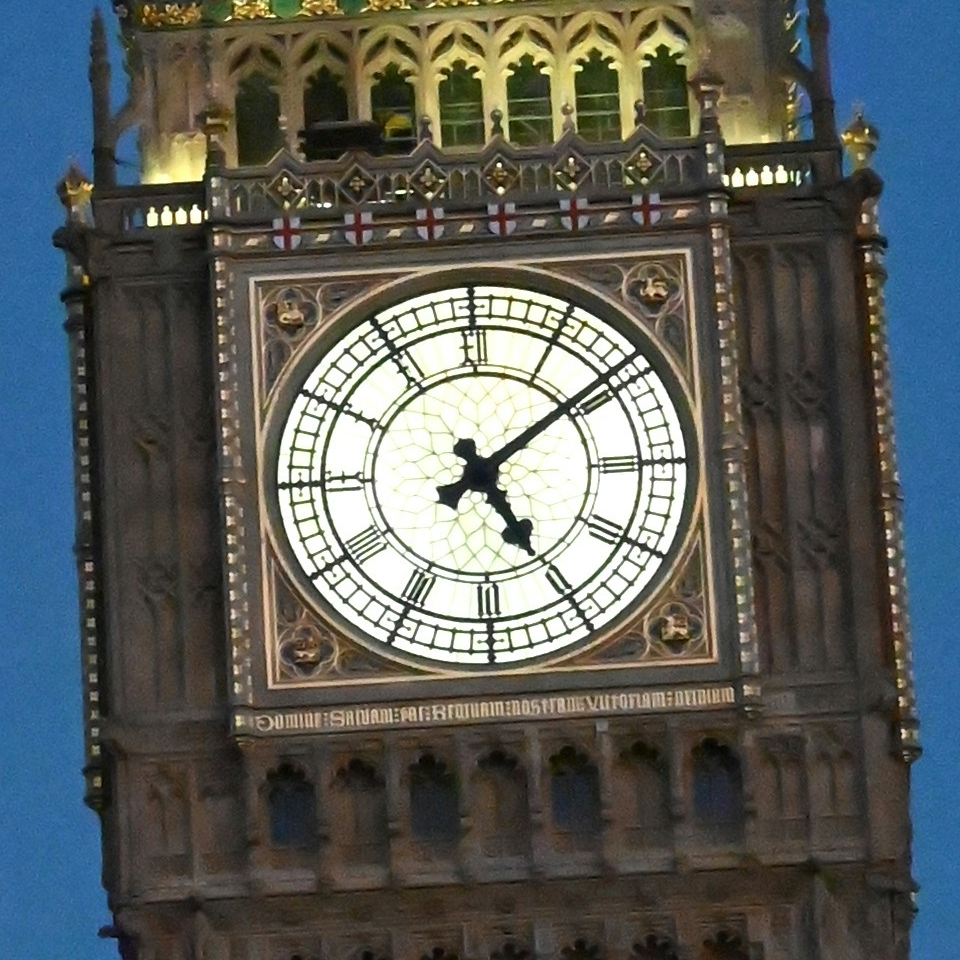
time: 5:08
